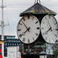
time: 7:52
